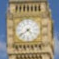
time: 4:39
